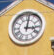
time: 3:01
